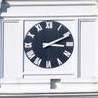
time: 3:10
